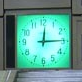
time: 12:14
